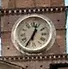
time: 12:35
